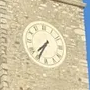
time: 7:35
